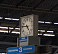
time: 4:46
